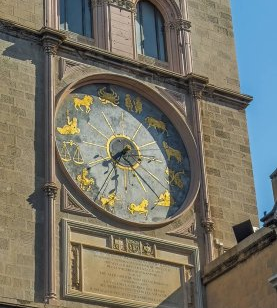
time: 7:32
